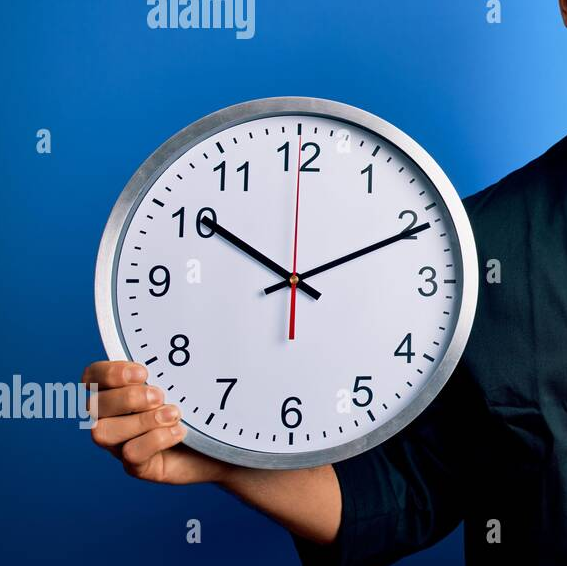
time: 10:10
